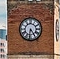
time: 4:31
